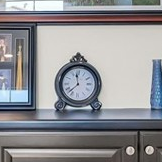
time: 11:37
